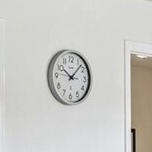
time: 10:07
